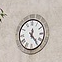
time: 12:23
